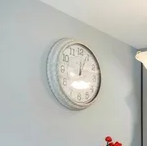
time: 12:03
